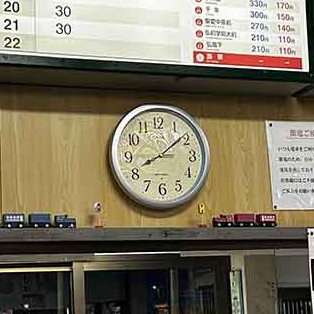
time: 8:08
